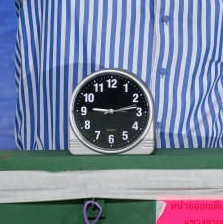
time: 9:13
